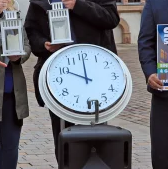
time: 10:00
